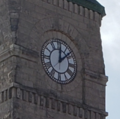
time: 12:08
